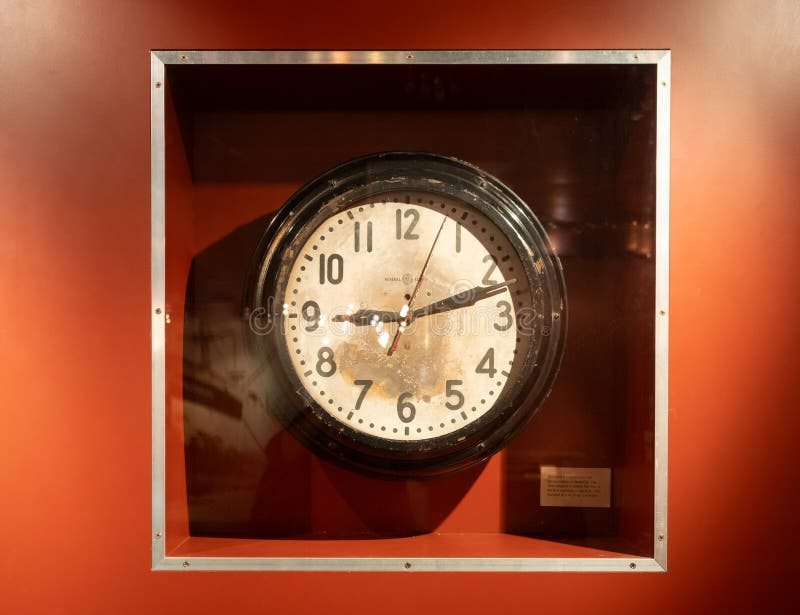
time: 9:11
